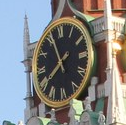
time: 7:56
